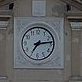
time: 7:13
